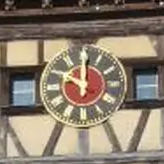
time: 10:00
